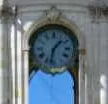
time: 1:32
